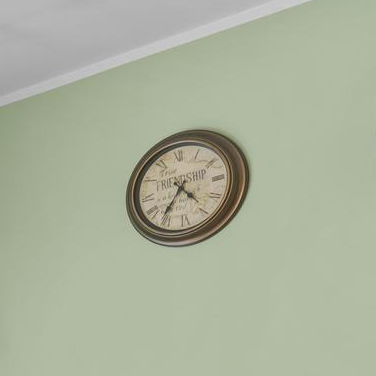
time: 4:36
